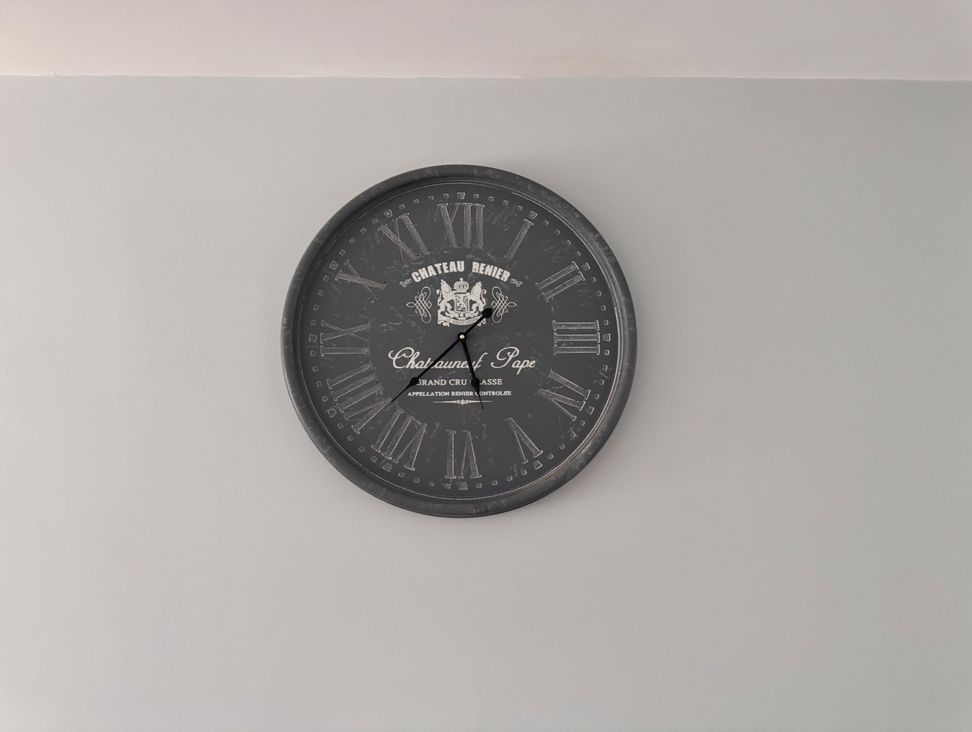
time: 5:38
